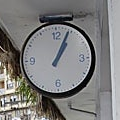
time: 1:04
